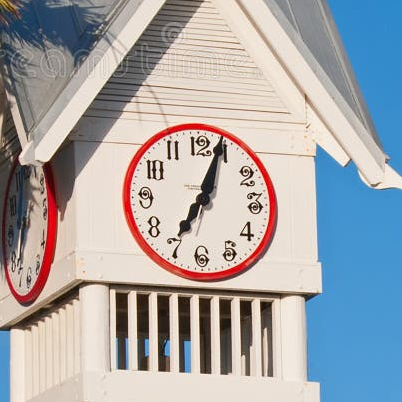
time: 7:03
